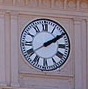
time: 2:09
